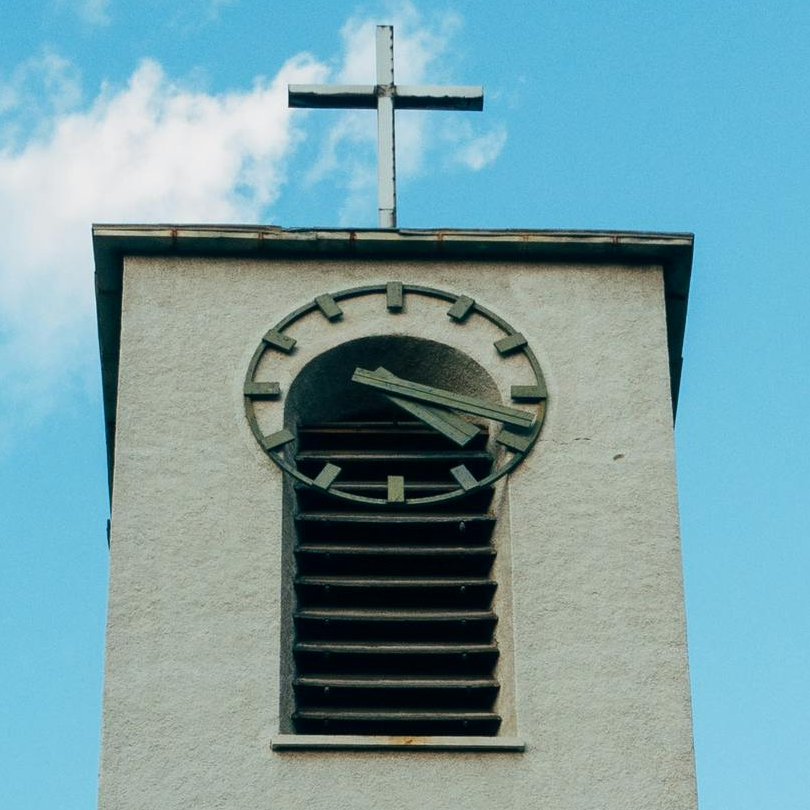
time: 4:18
